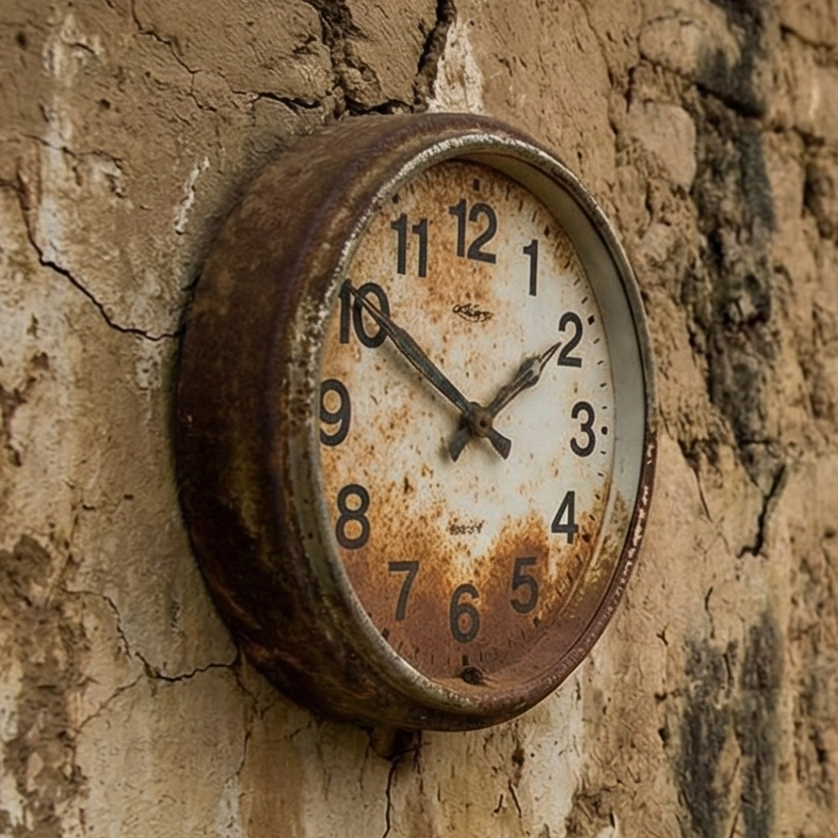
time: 1:50
